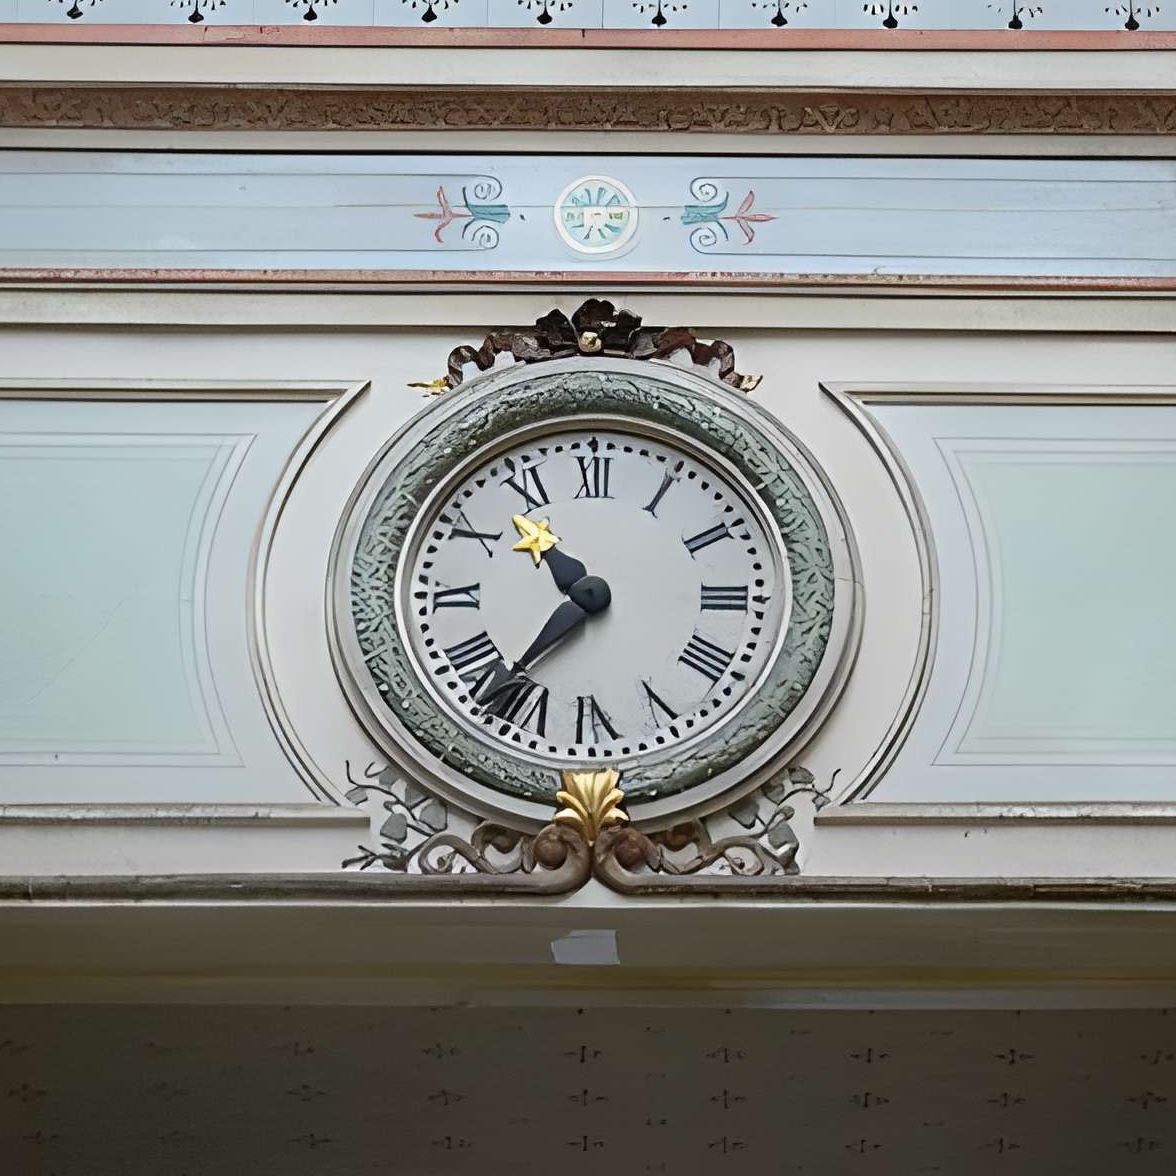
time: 10:36
